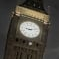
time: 9:12
